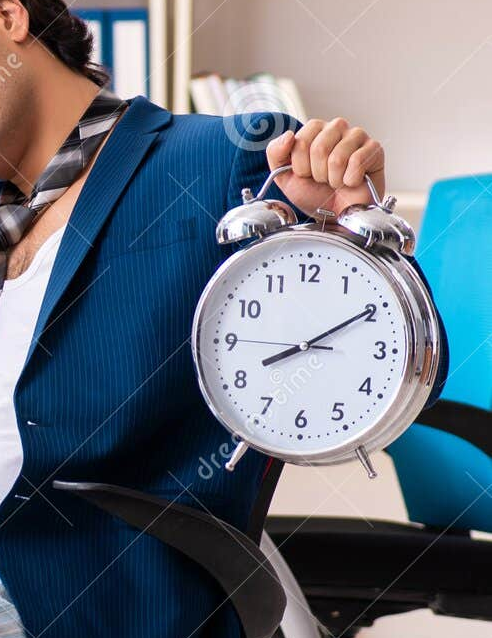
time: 8:09
